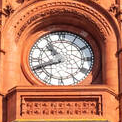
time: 10:41
